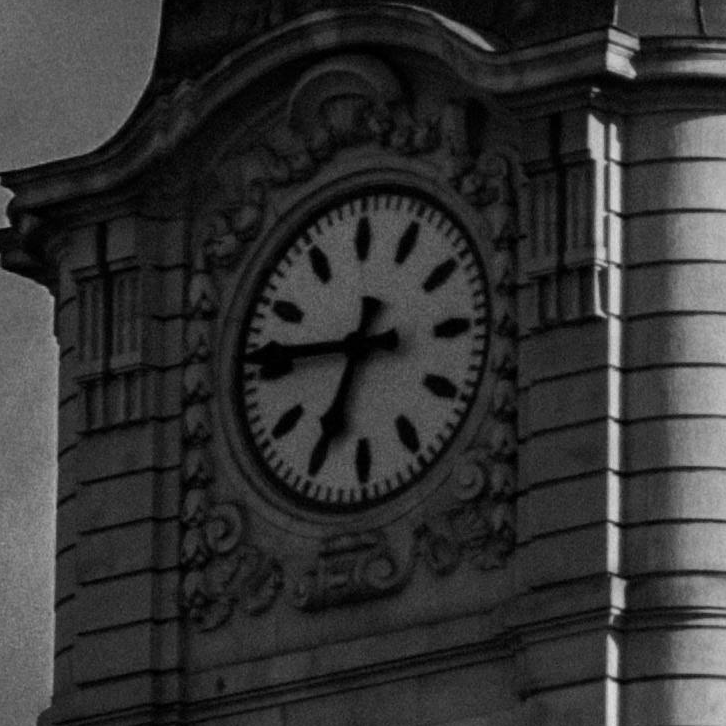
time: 6:46
